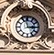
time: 2:57
